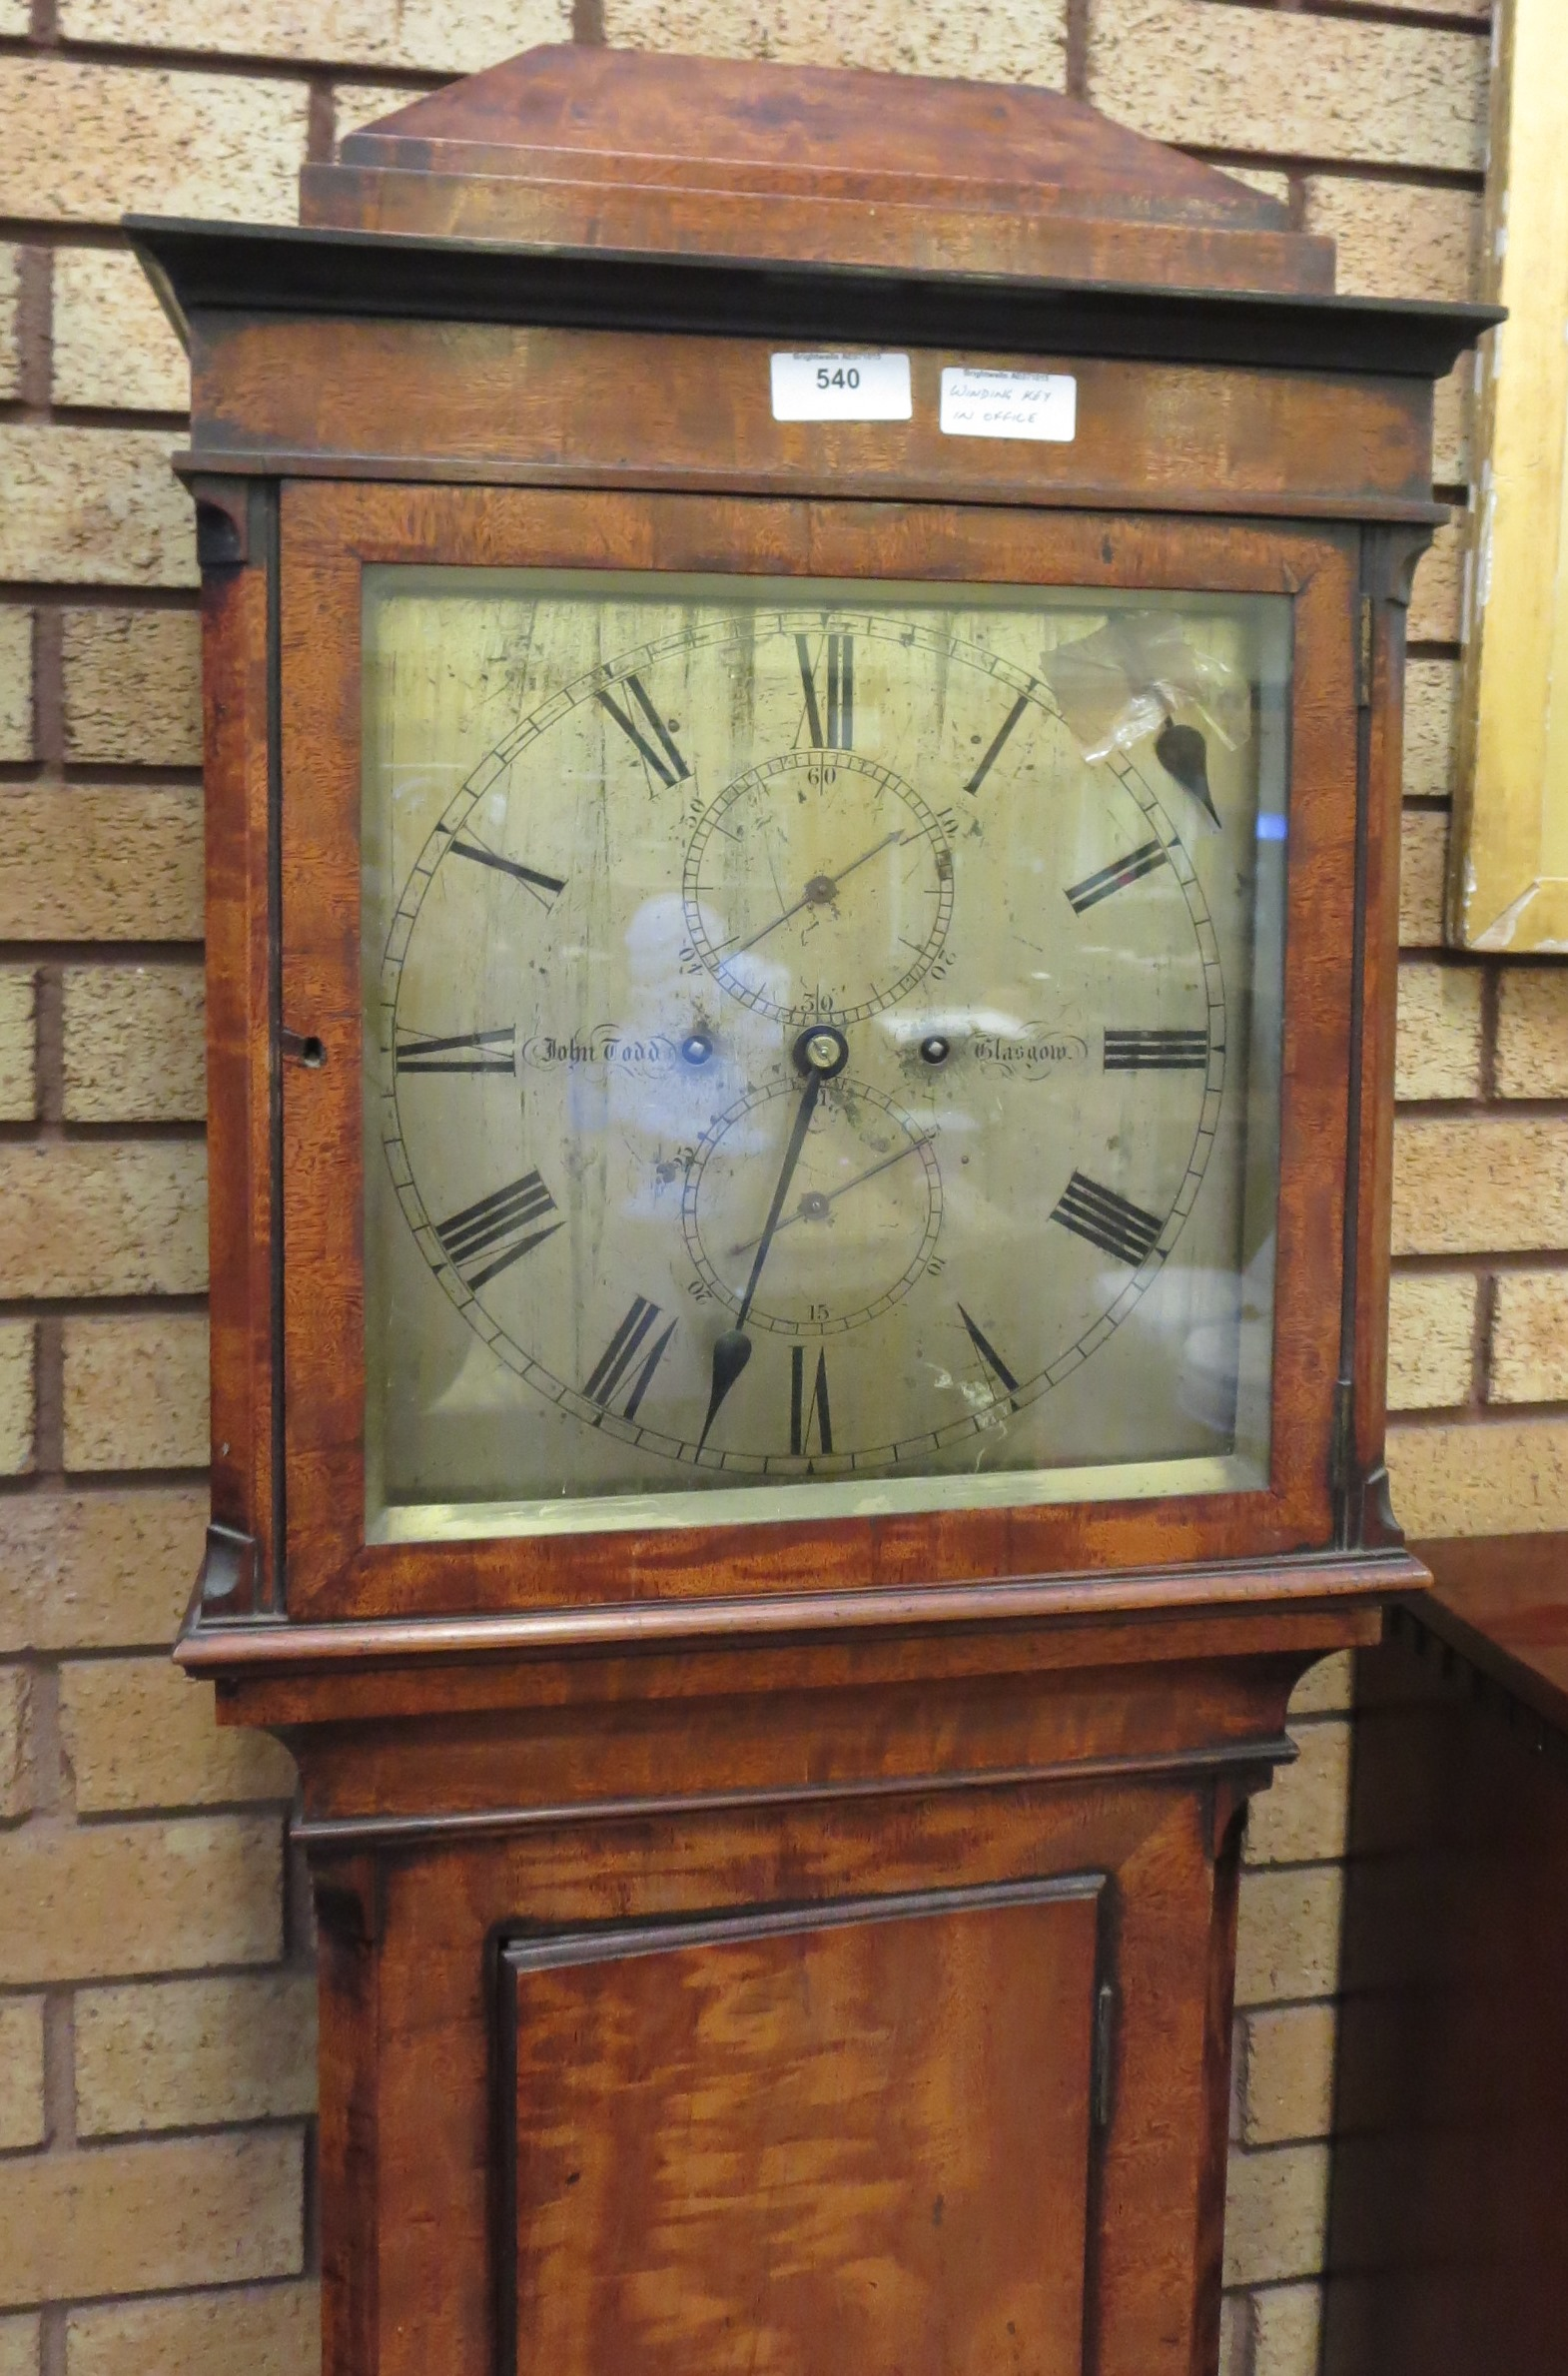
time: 3:32
